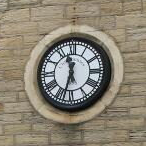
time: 11:32
